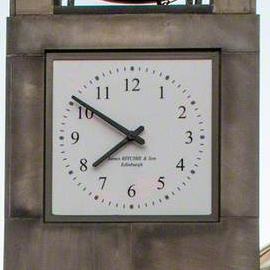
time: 7:50
